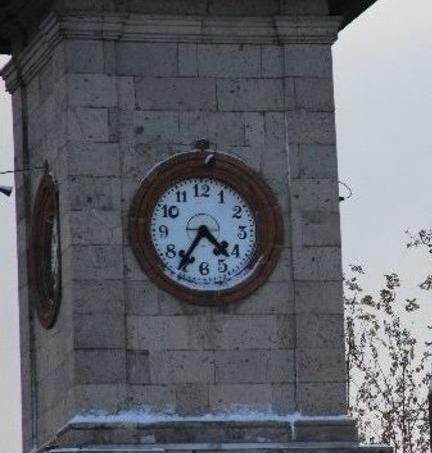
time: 4:35
